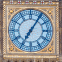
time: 7:05
